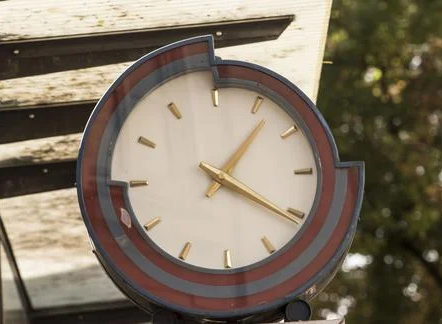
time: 1:20
